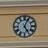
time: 5:03
